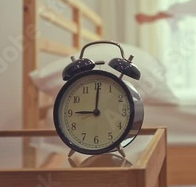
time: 9:00
